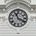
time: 11:19
